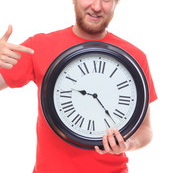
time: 9:22
